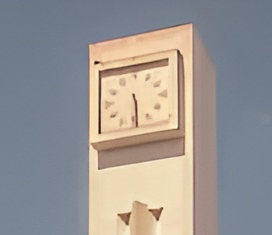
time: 5:29
